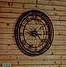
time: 9:22
